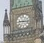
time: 9:16
